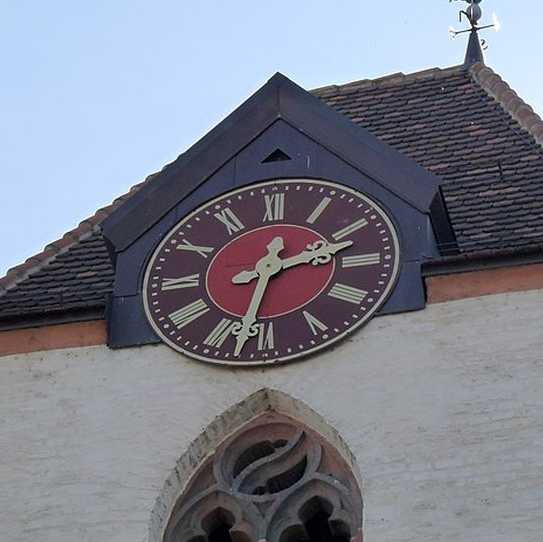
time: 2:32
